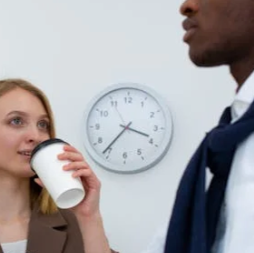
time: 3:36
